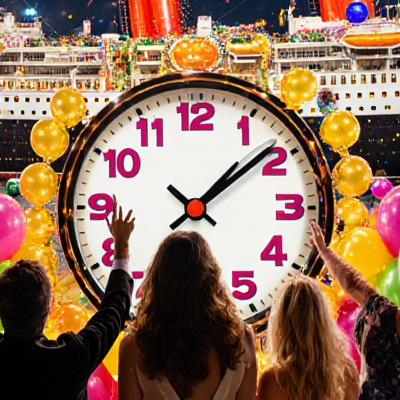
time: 1:08
